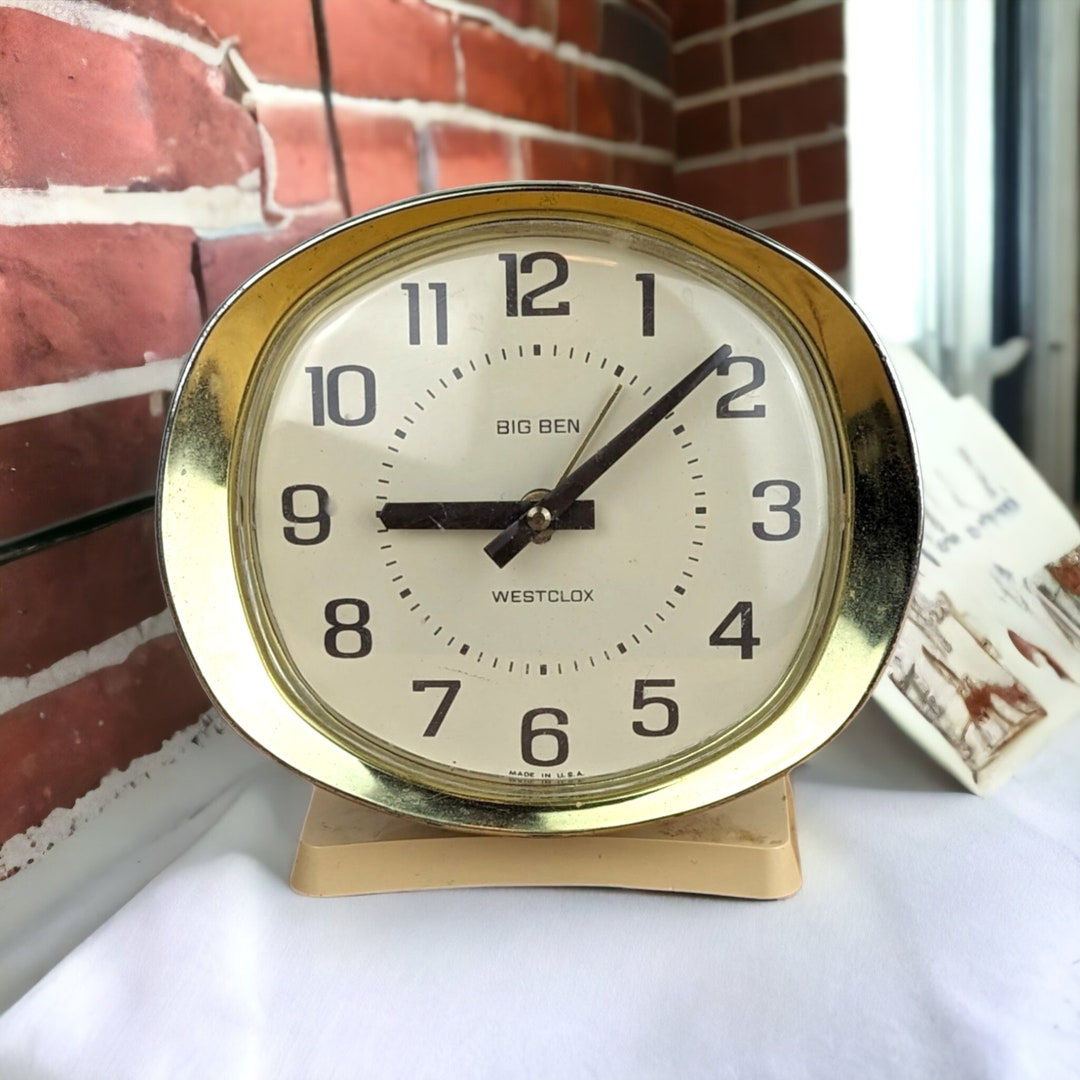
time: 9:08
